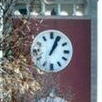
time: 1:03
